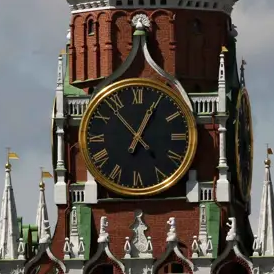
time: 12:53
